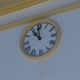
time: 10:59
